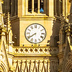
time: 7:39
